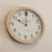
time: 10:00
